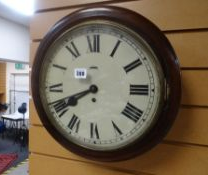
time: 7:40
